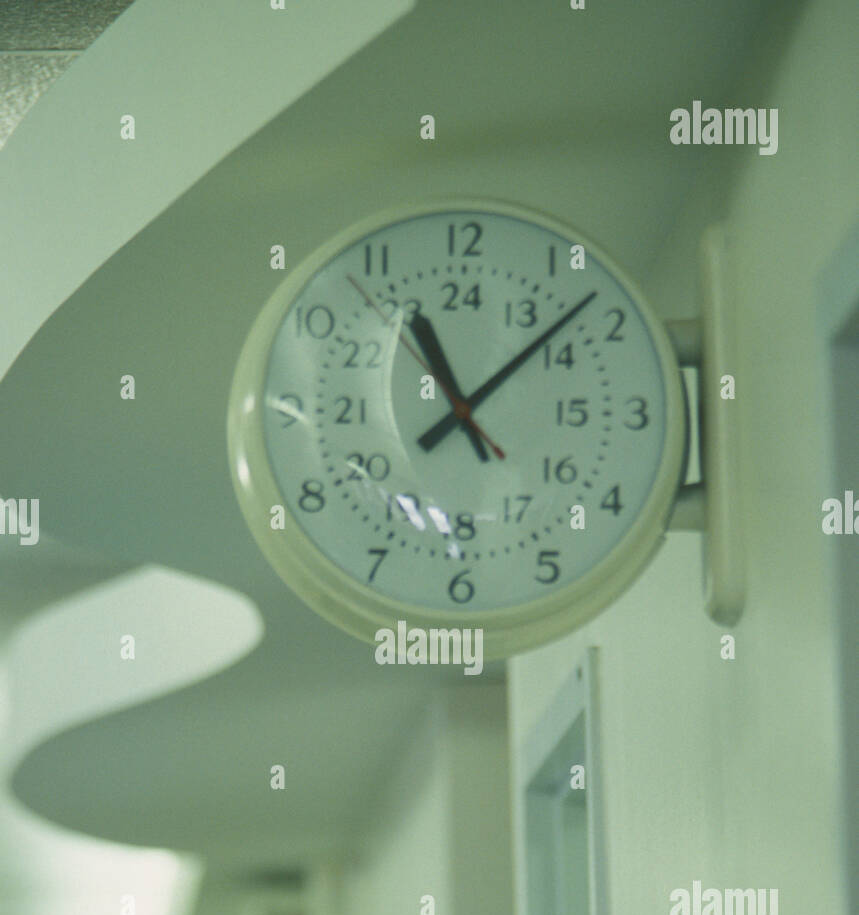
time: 11:07
